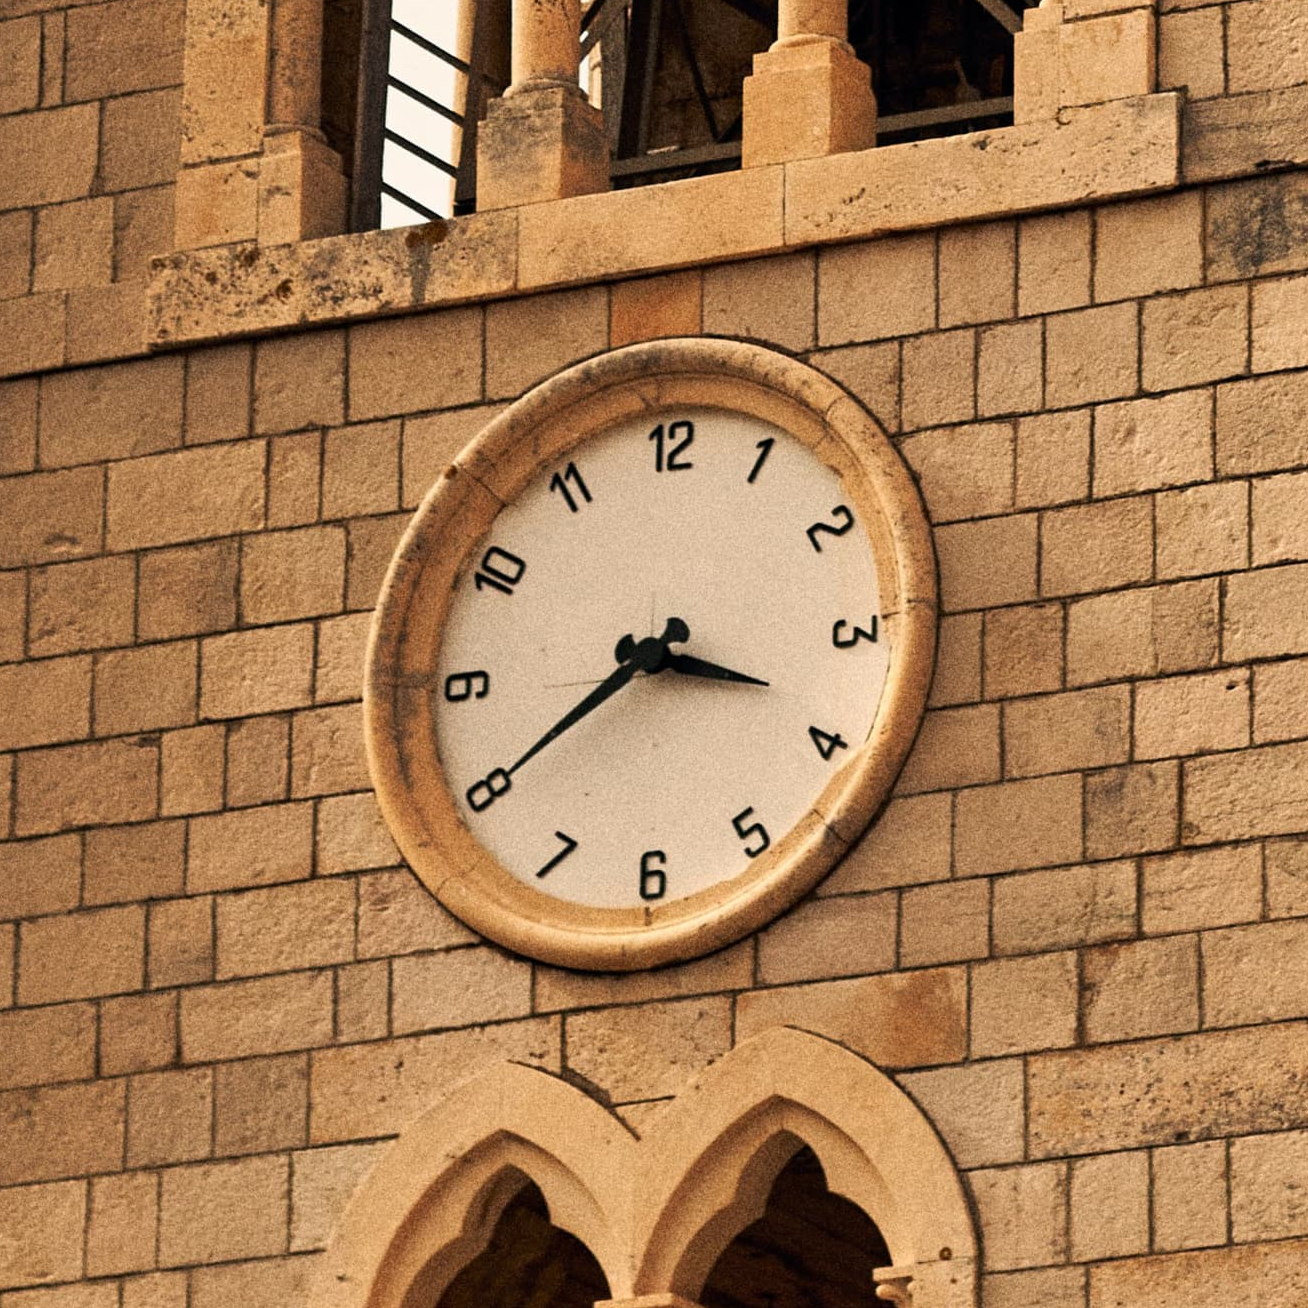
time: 3:39
